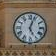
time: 5:03
